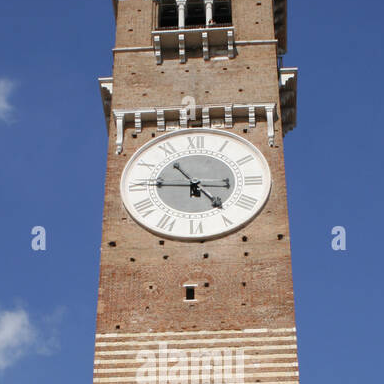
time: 4:45
